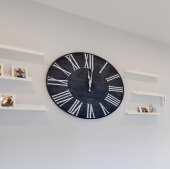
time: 12:01
